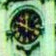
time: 11:48
